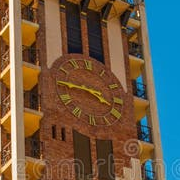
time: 3:46
